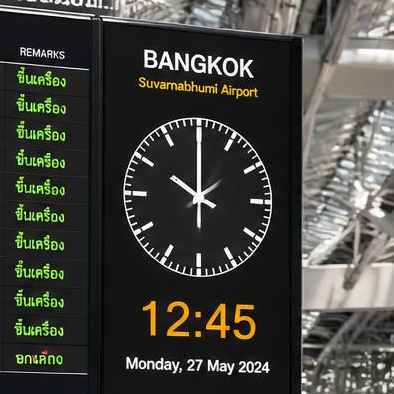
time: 10:00
